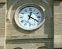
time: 12:20
